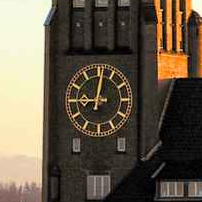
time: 9:01
